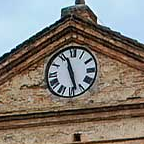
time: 11:27
